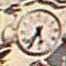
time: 5:35
